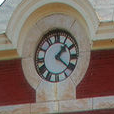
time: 1:21
